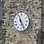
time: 11:25
